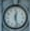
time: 12:27
